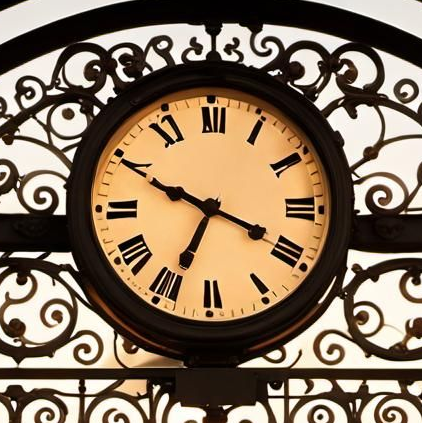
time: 6:49
